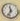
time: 11:33
